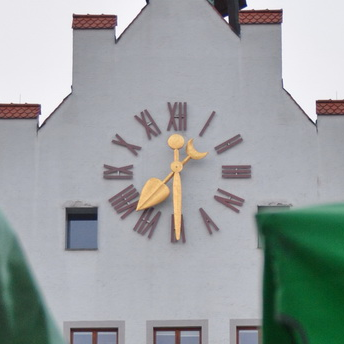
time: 12:29
